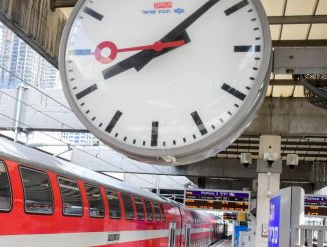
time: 8:07
